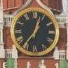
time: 12:36
